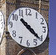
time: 10:21
